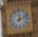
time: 12:11
